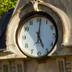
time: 5:01
